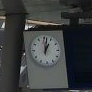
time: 1:01
